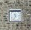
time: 11:33
